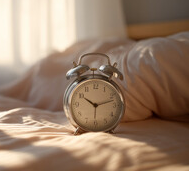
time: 10:12
